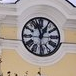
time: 12:57
